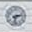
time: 2:32
